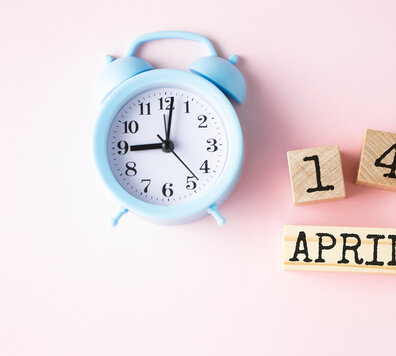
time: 9:01
